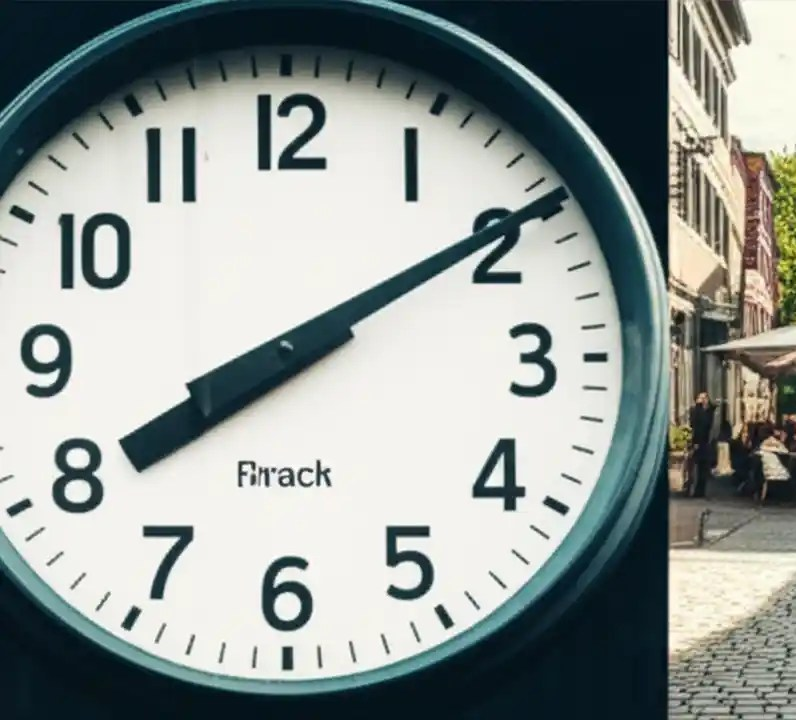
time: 8:09
